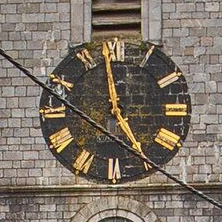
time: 4:58
